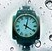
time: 4:02
